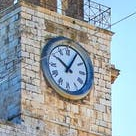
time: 10:05
